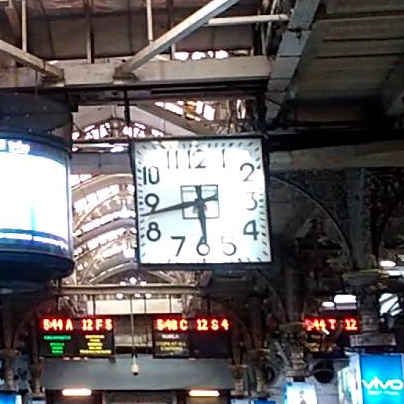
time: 5:43
